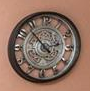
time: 2:53
